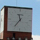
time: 11:36
